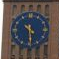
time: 10:29
